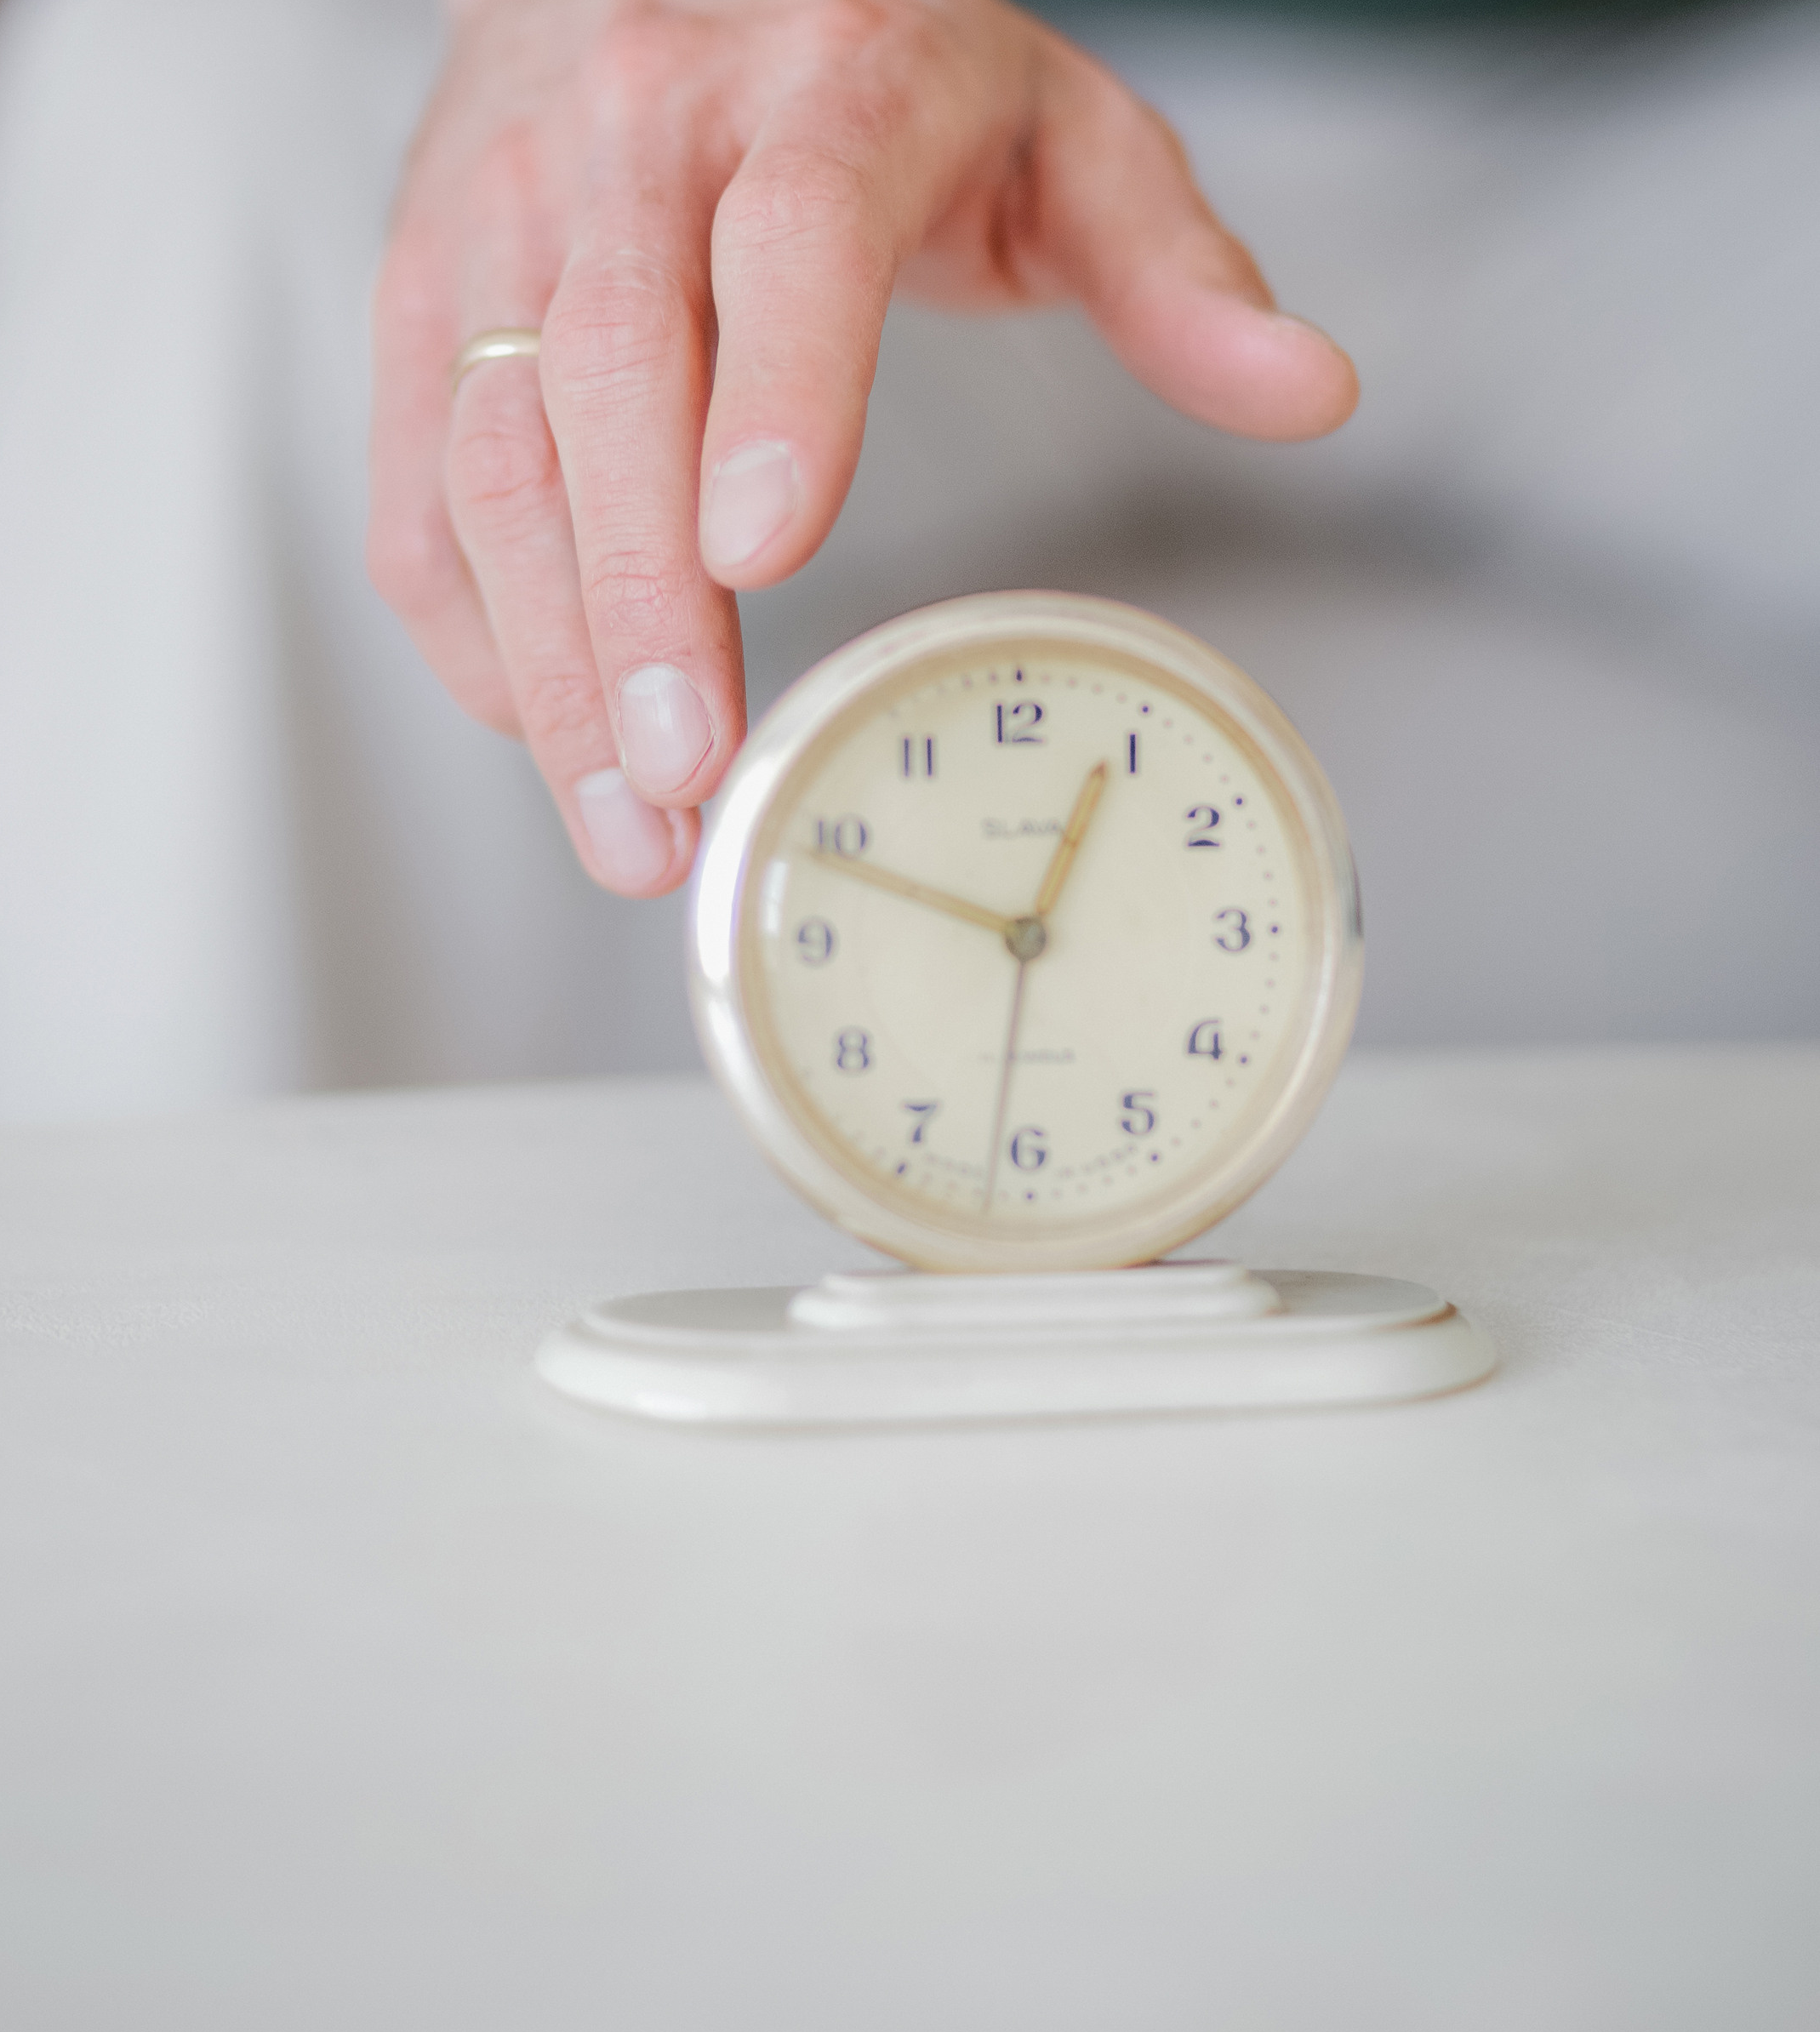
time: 12:48
